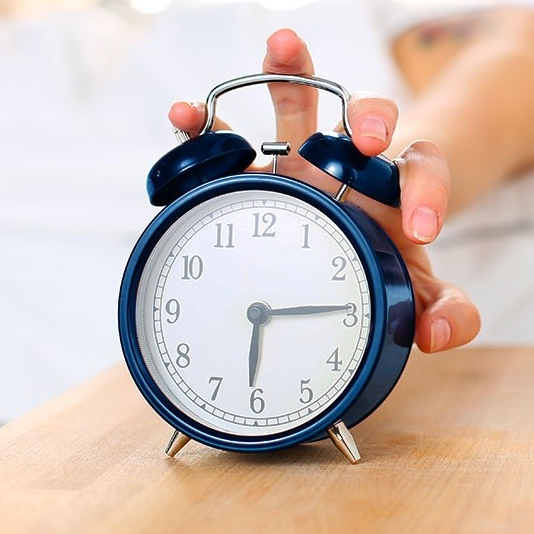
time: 6:14
